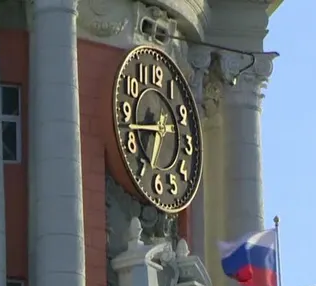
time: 6:42
